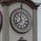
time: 11:40
